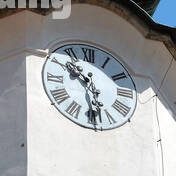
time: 10:28
